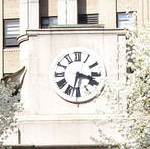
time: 3:32
